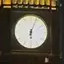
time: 6:03
